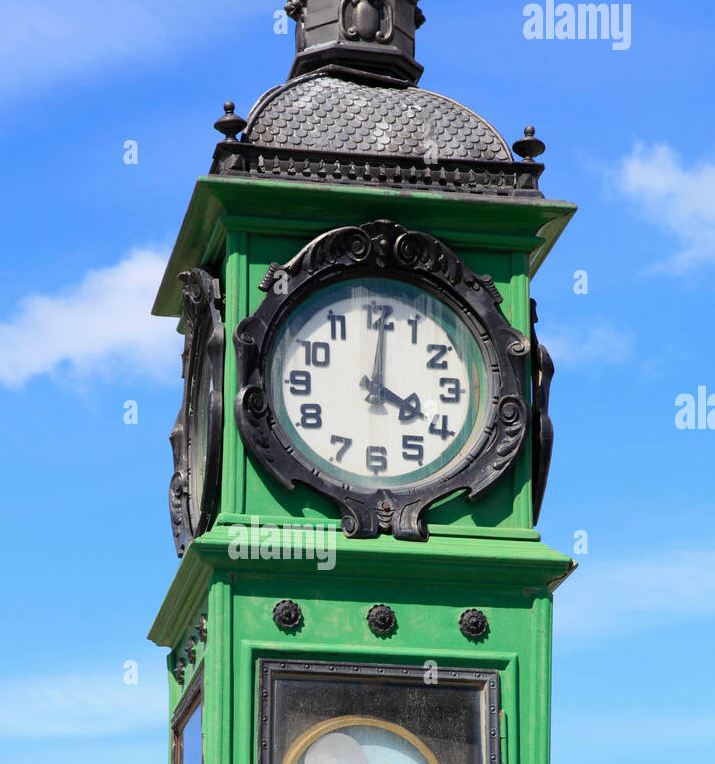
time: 4:01
